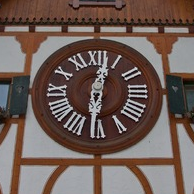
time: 12:30
